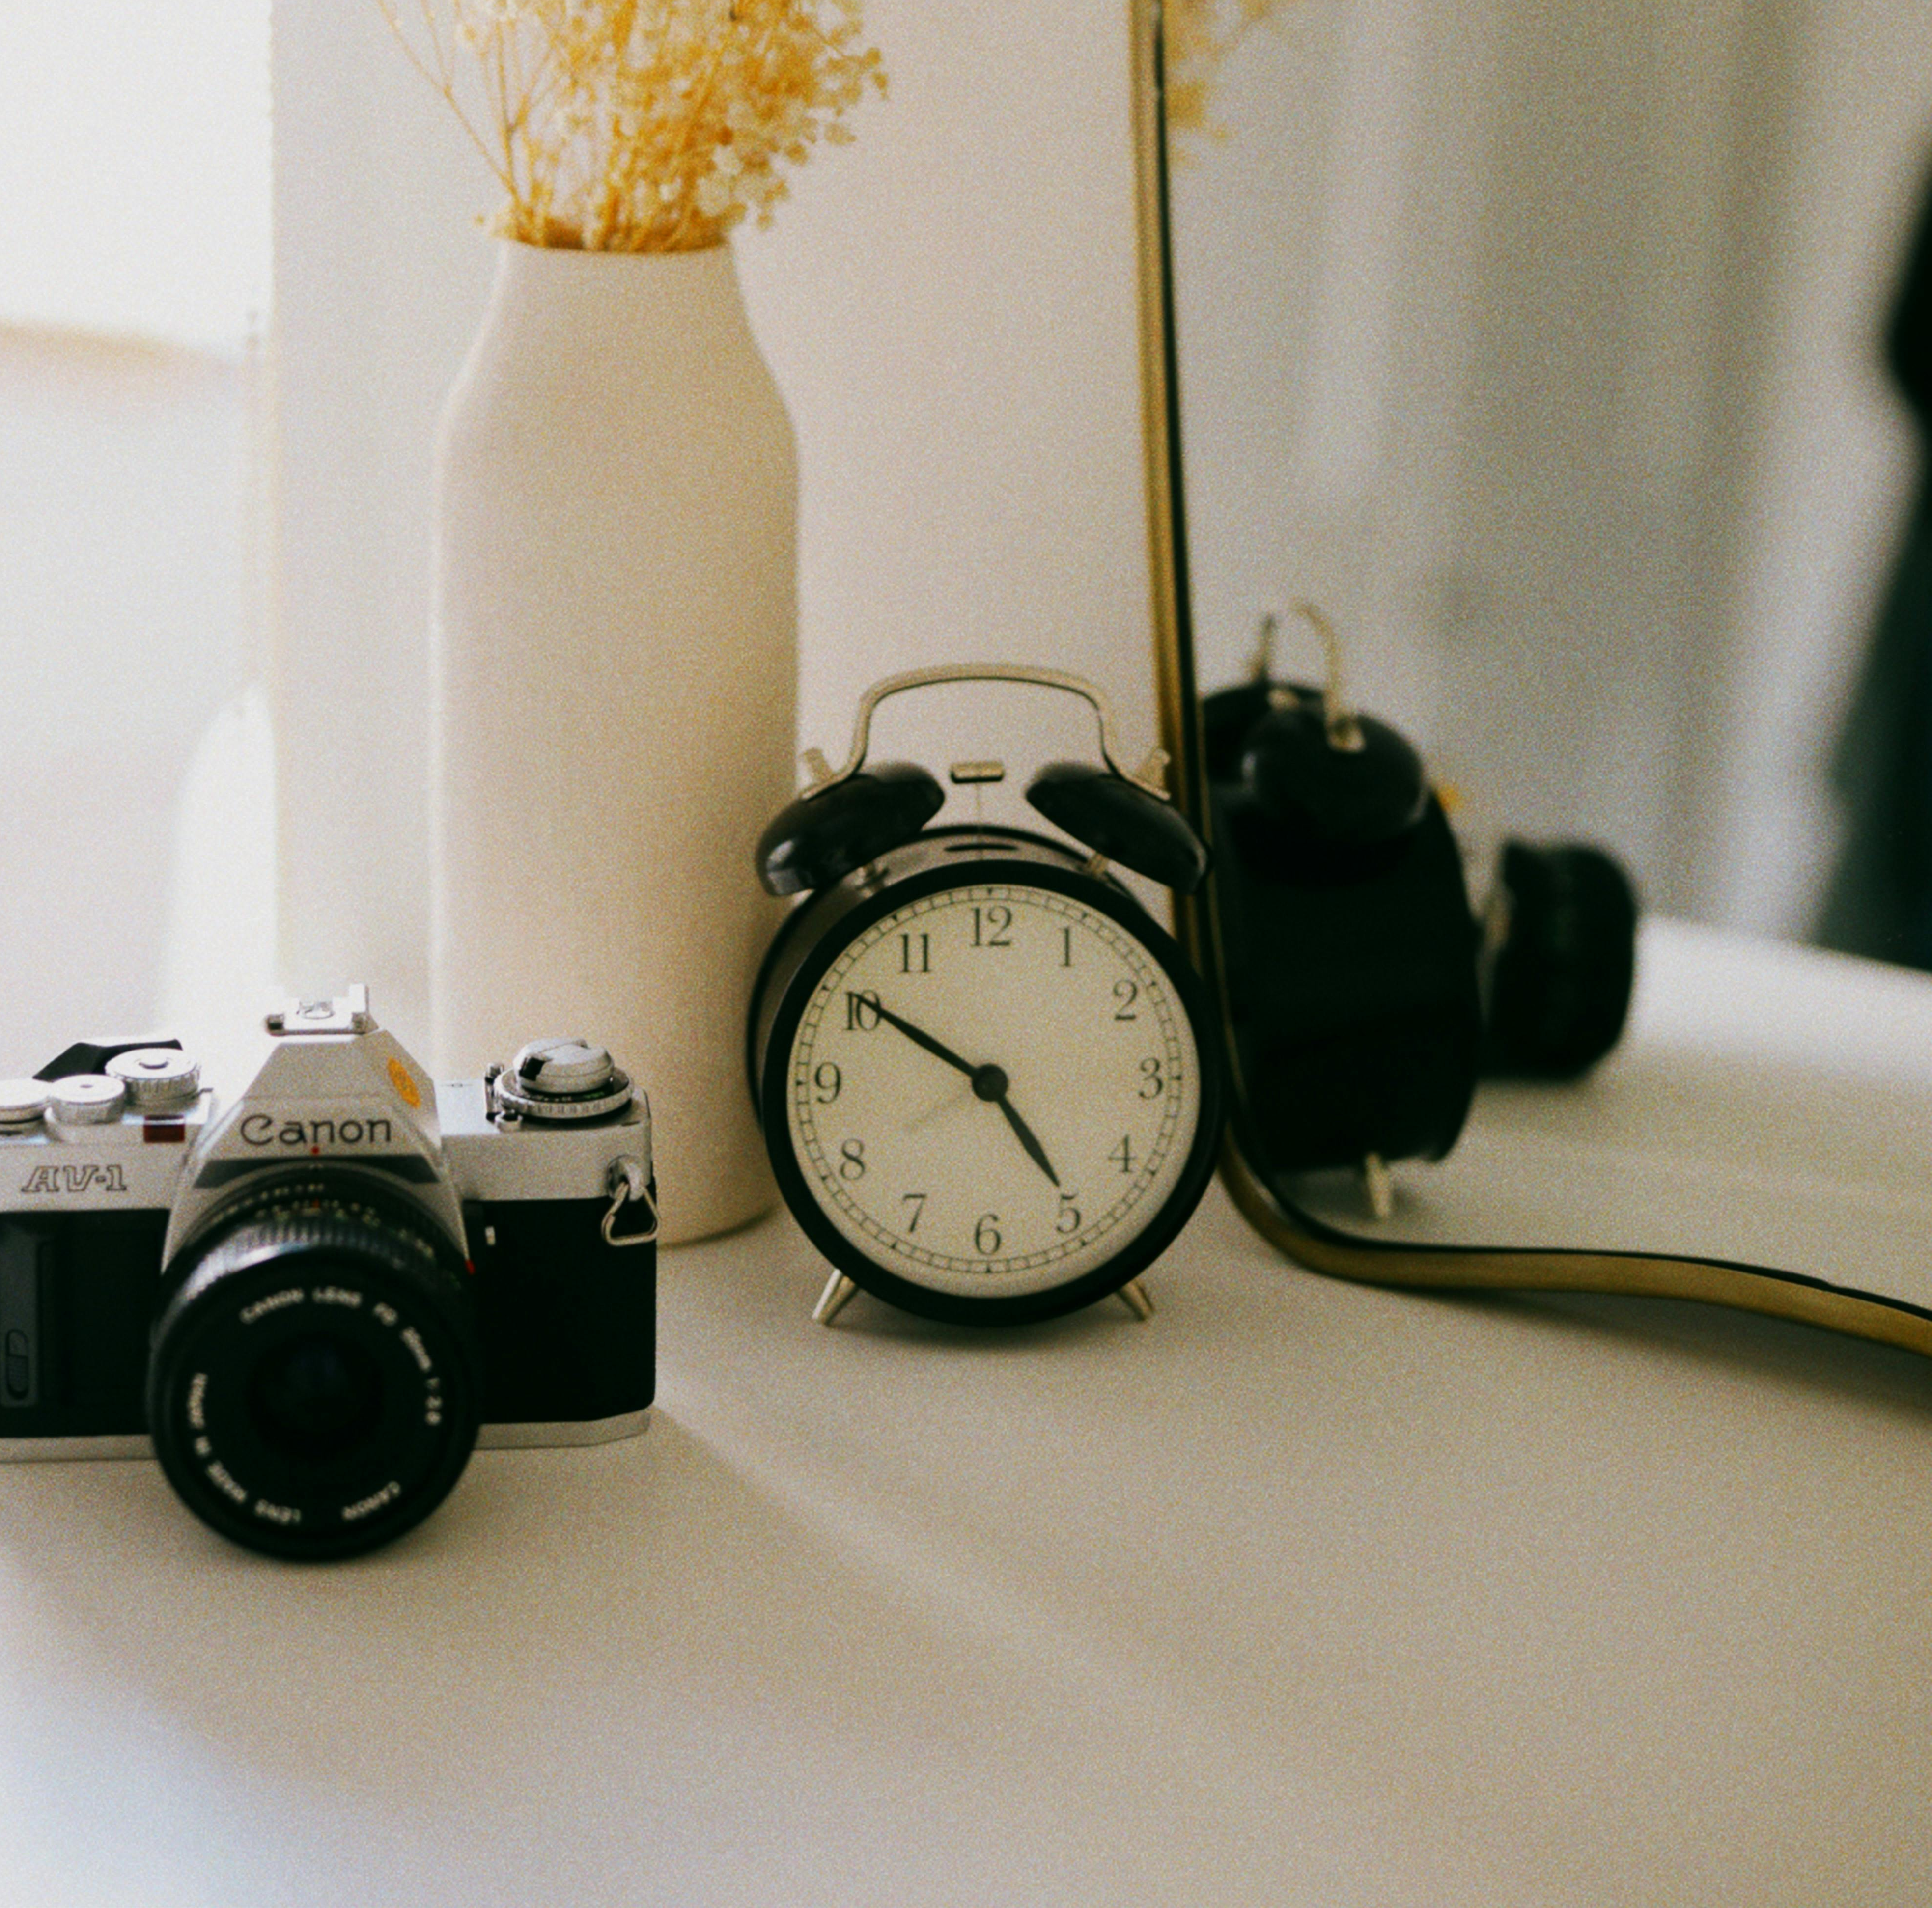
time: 4:50
